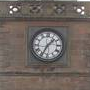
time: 1:34
